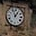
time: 12:55
